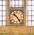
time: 10:24
